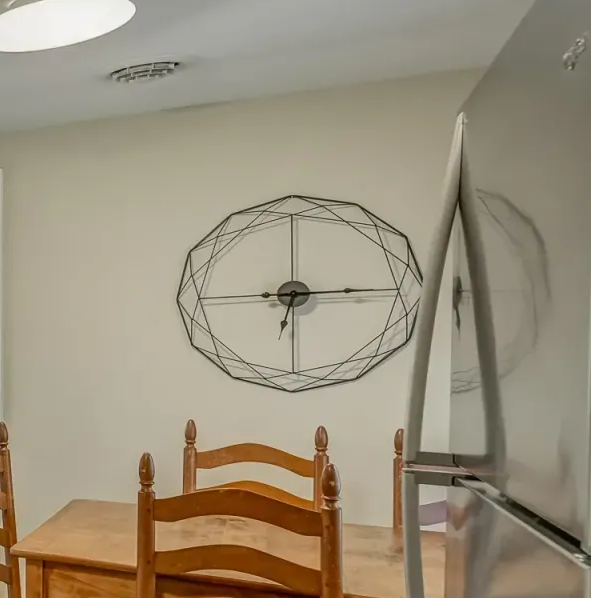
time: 6:13
